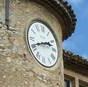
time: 2:41
